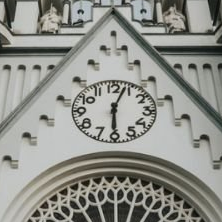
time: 6:03
